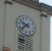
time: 9:38
